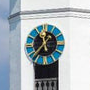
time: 11:37
